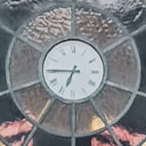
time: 6:45
